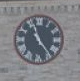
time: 11:23
